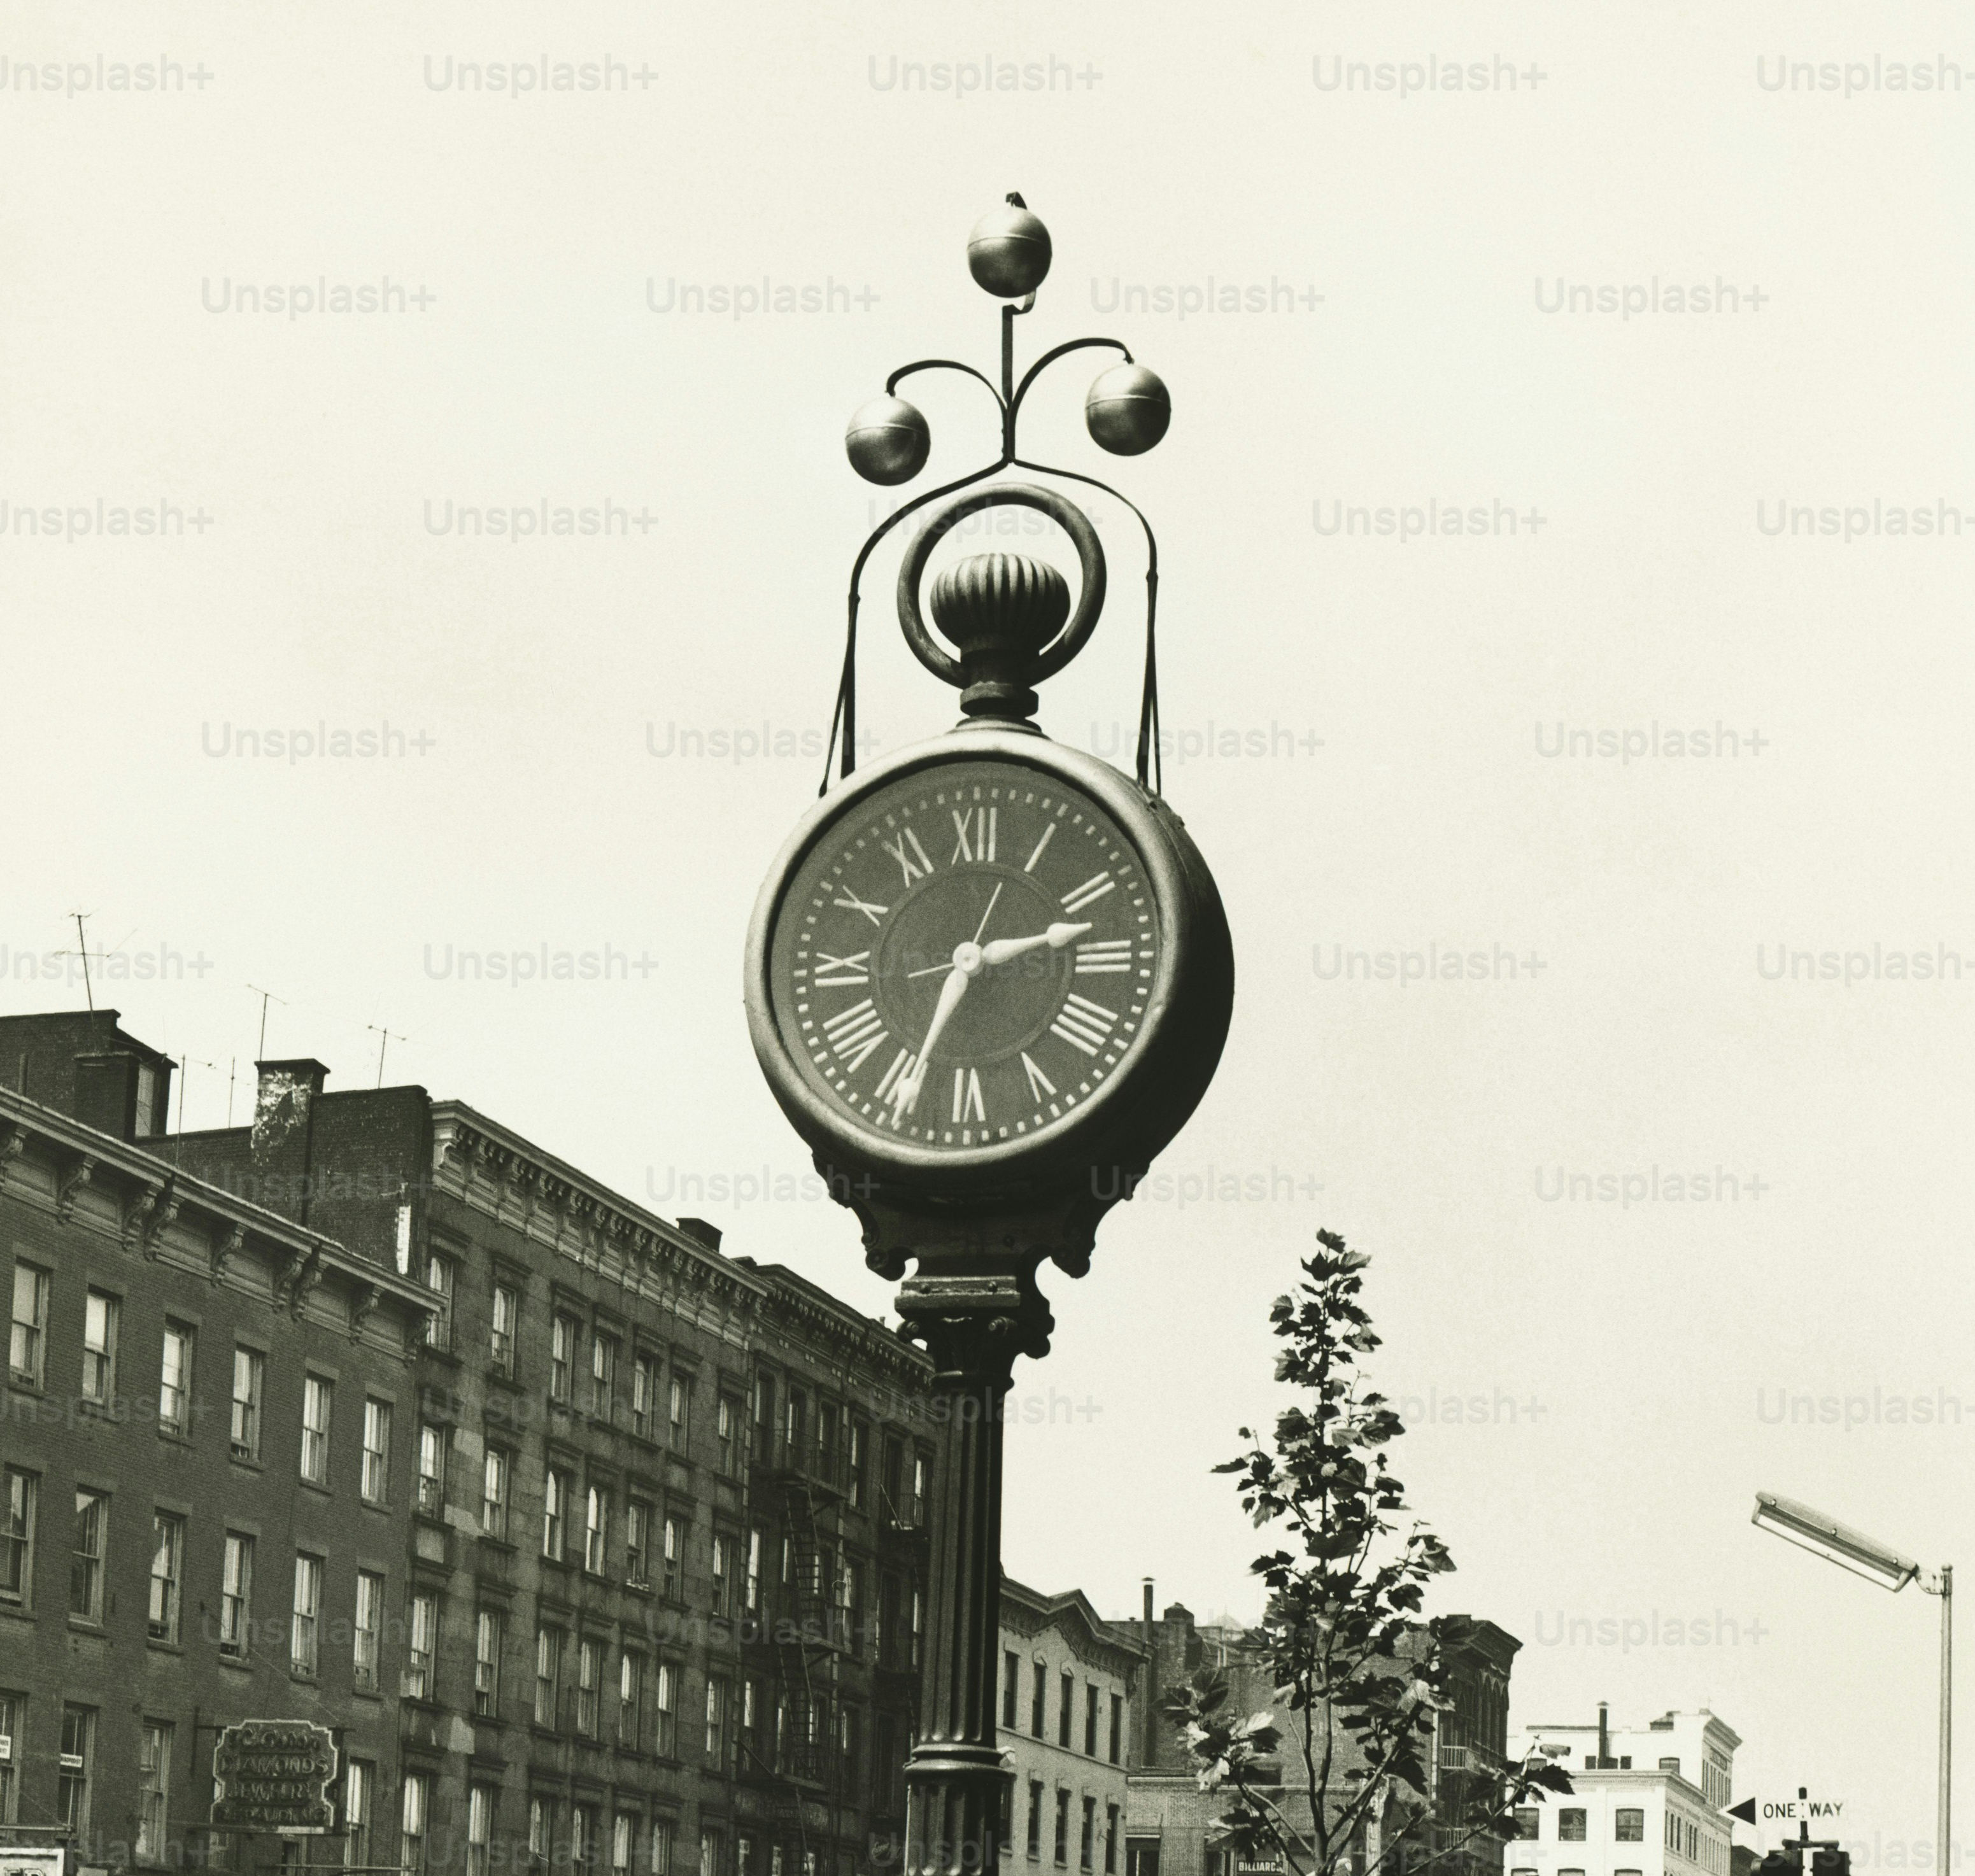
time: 2:33
